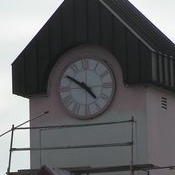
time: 4:50
